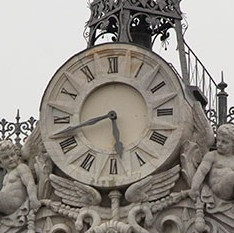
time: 5:42
